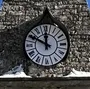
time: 11:49
